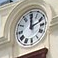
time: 12:11
